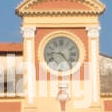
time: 9:22
